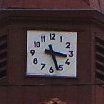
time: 3:26
